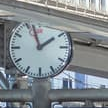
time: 1:56
